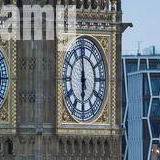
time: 5:59
